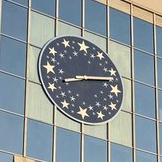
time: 8:12
